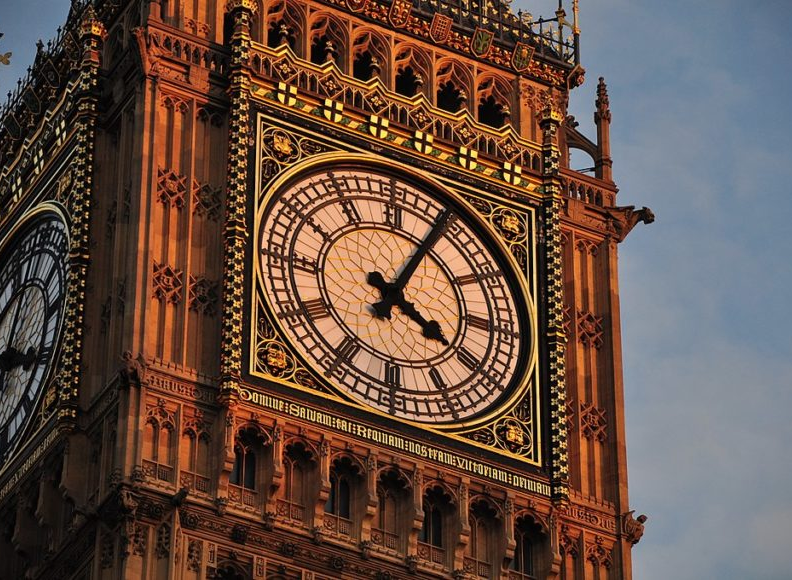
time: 4:04
